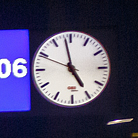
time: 4:58
